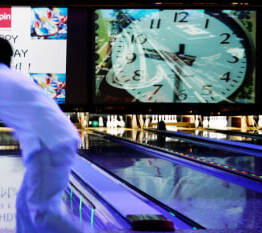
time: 9:31
